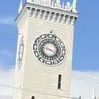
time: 3:47
